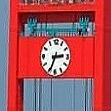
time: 2:34
